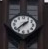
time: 1:37
